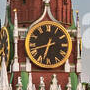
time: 8:33
